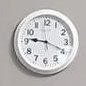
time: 9:18
